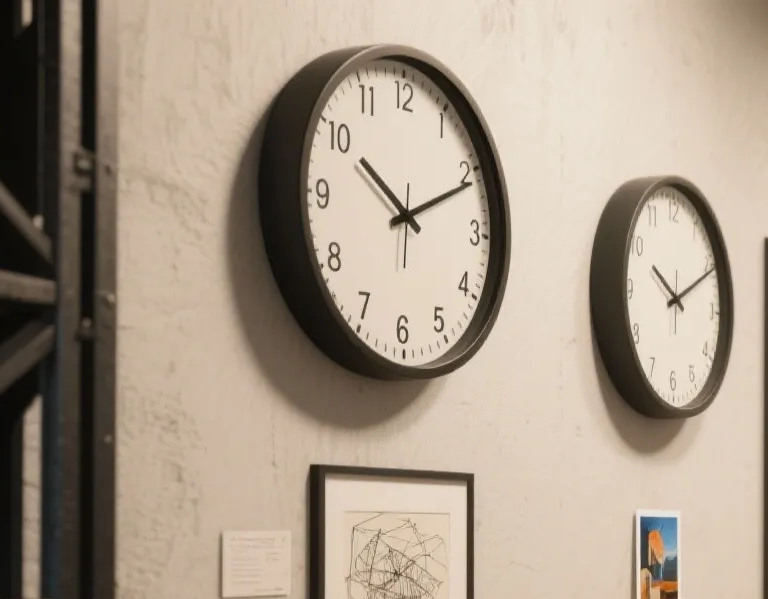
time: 10:10
